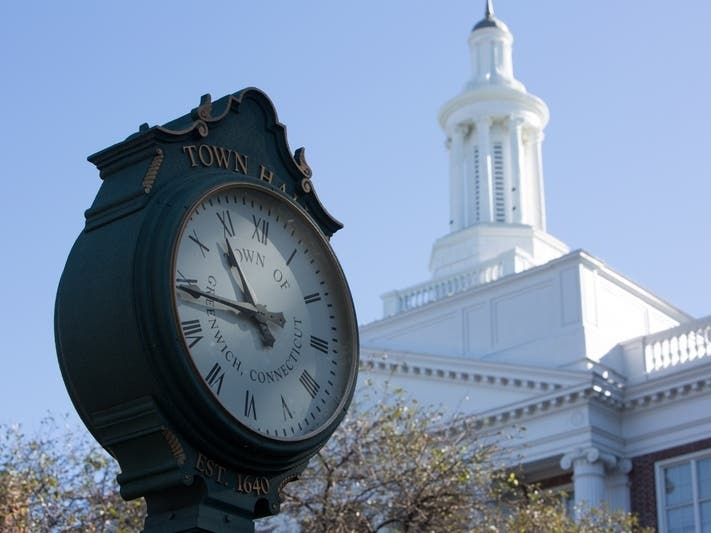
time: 10:45
